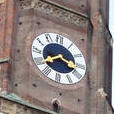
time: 3:39
